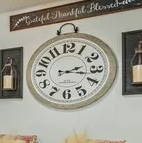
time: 2:18
